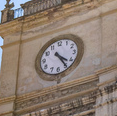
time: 4:24
